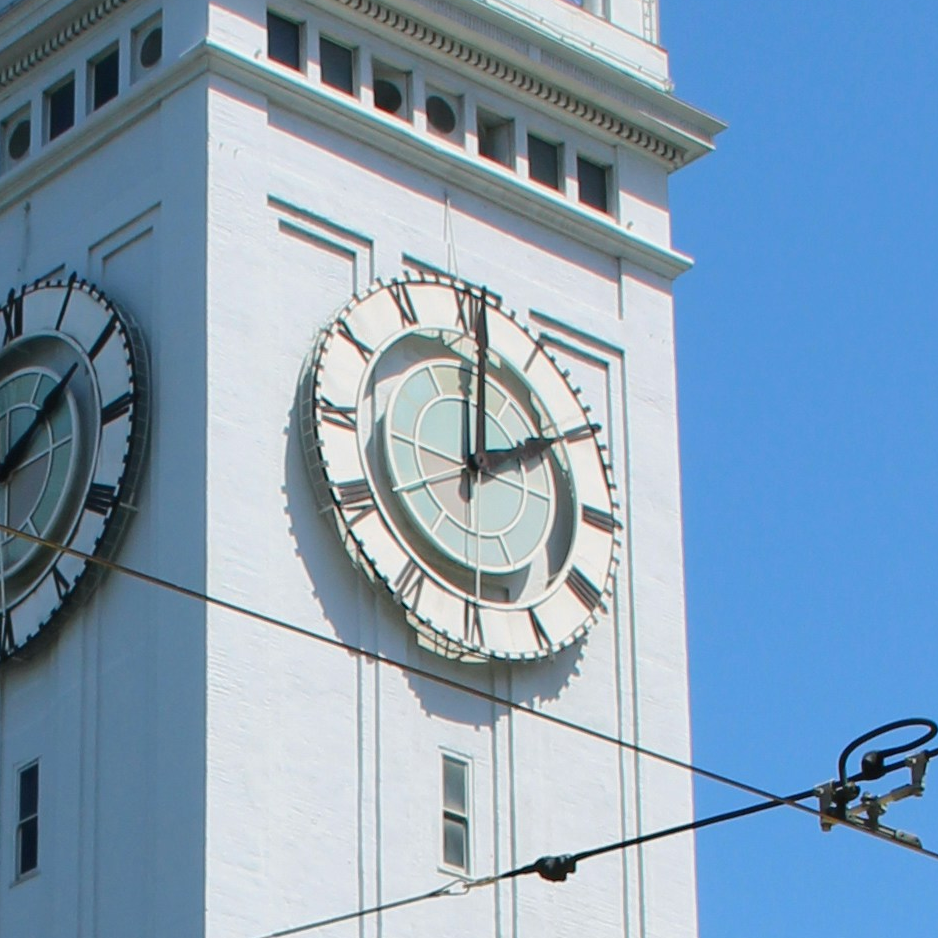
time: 2:01
